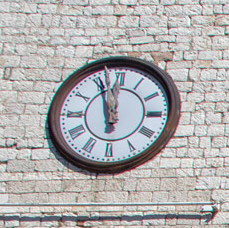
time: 11:56
